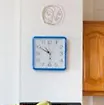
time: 10:50
